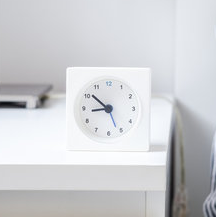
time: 8:51
